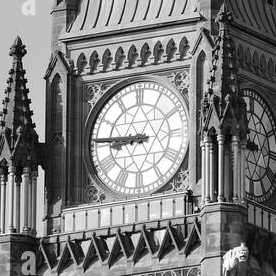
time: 8:45
